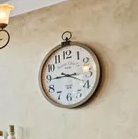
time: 9:44
